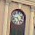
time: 4:42
